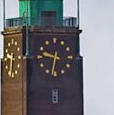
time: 9:32
